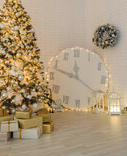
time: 11:48
